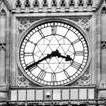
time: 3:40
